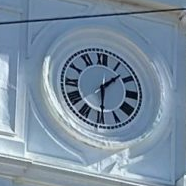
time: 1:29
